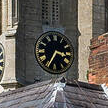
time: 3:34
